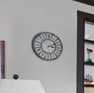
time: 3:11
